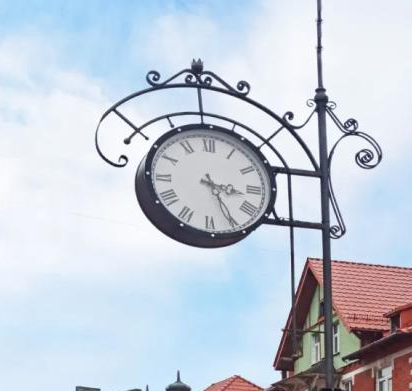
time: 3:25
